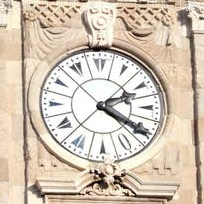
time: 2:20
